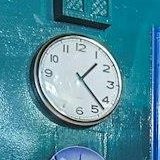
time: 1:22
